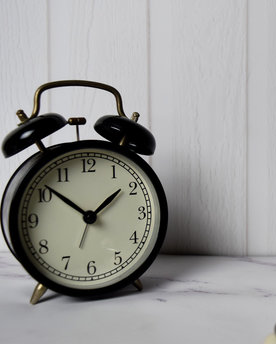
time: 1:51
